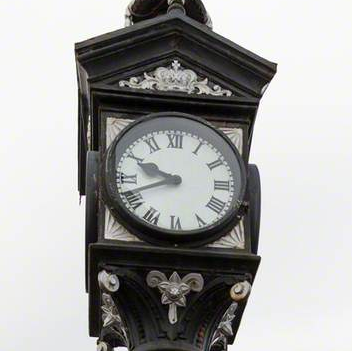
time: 9:41
